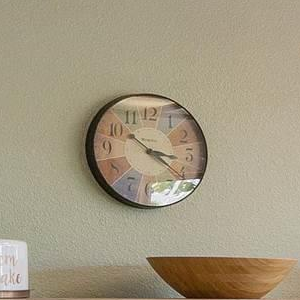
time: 3:21
